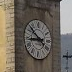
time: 8:51
